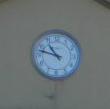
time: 10:47
